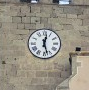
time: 12:27
